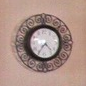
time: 4:35
